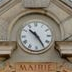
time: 10:24
